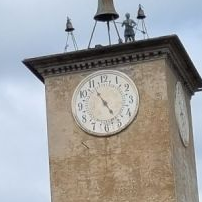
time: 4:54
